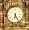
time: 6:25
